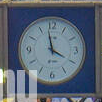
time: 3:58
